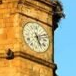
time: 5:11
